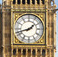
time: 1:42
